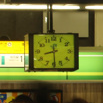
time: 8:29
